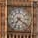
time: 7:21
